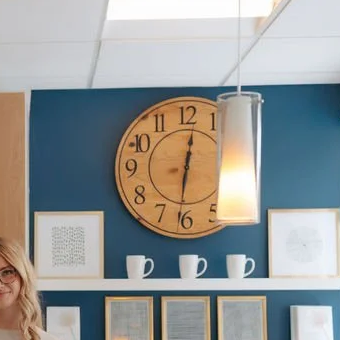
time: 12:31
